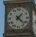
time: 1:22
